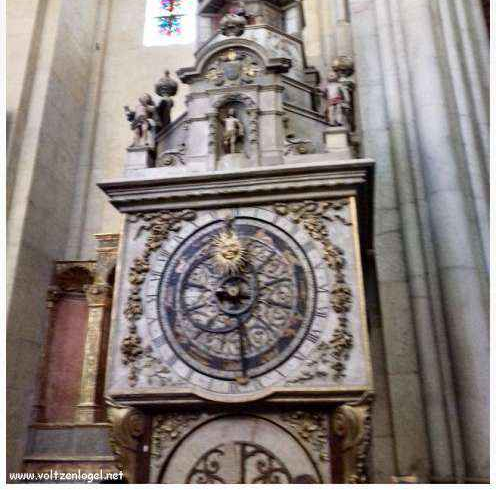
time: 12:28
